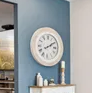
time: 2:09
